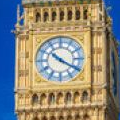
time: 10:20
